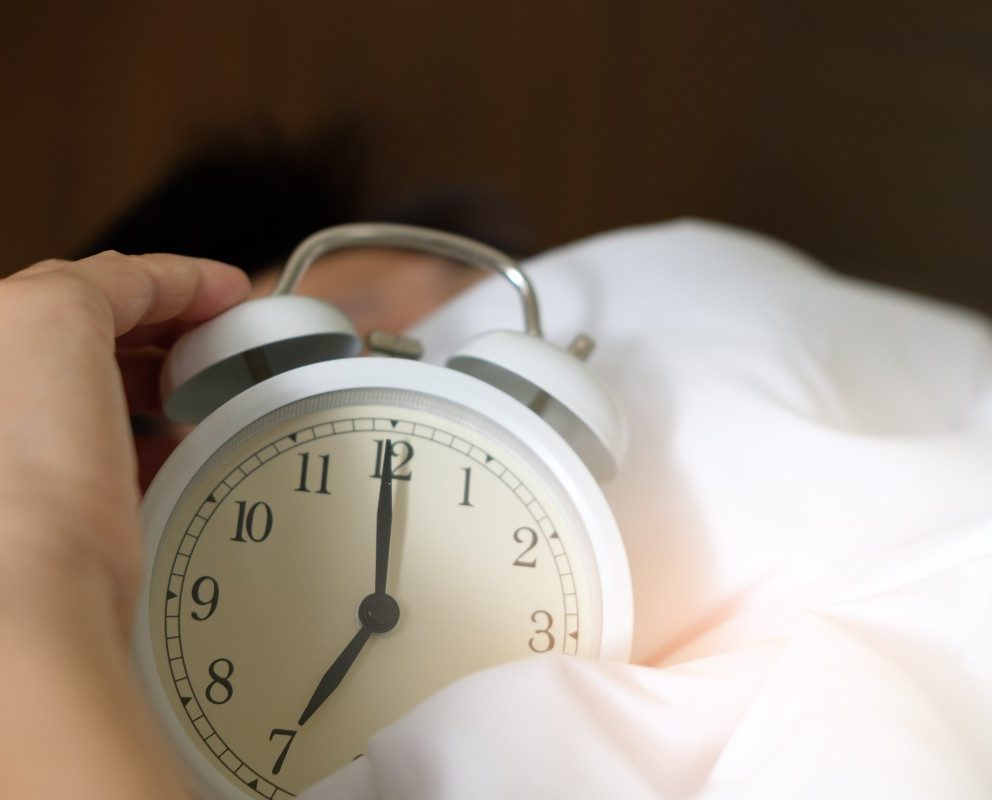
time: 7:00
